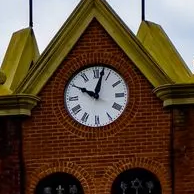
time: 10:02
